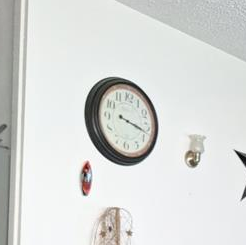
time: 3:17
